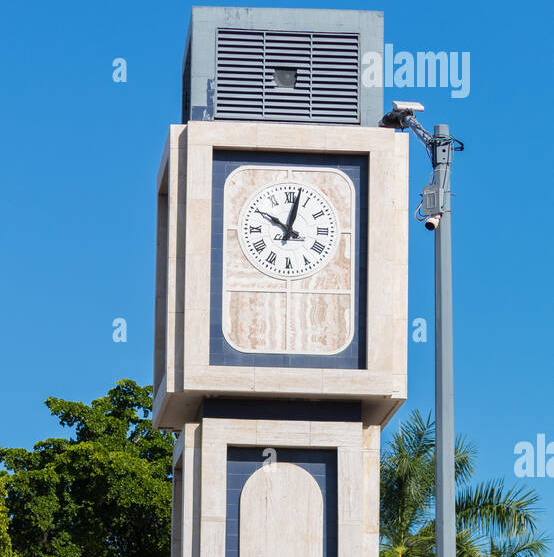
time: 10:02
